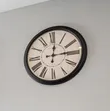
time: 12:14
